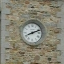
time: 8:11
